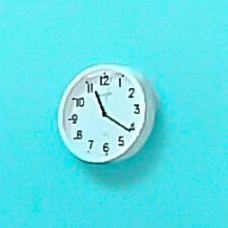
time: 11:21
